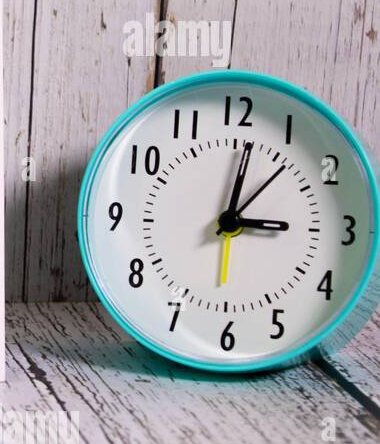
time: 3:01
